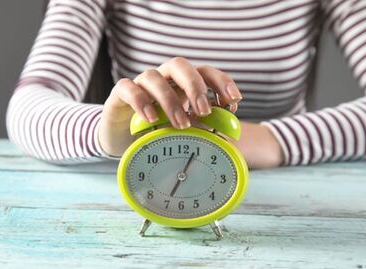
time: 7:04
